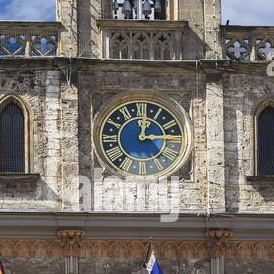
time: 12:13
